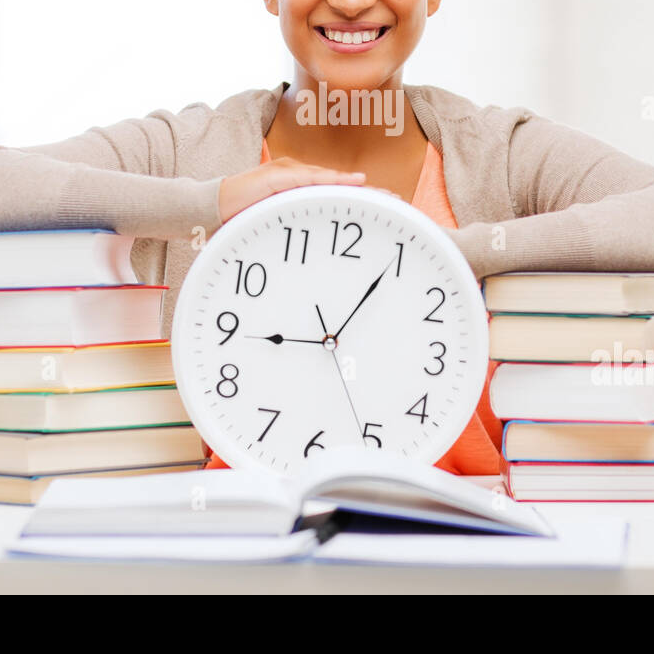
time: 9:04
